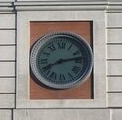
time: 8:13
